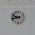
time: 9:42
